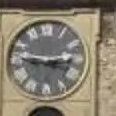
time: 2:46
